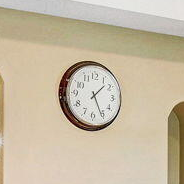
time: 1:25
